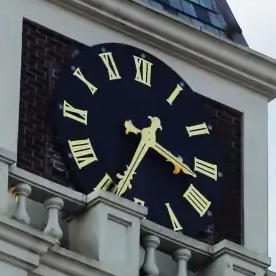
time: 3:34
